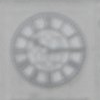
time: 10:14
